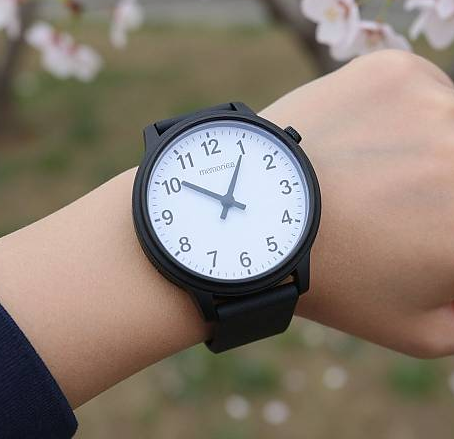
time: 10:05
